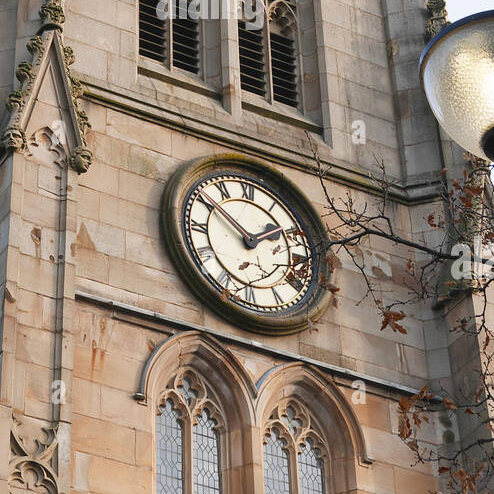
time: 1:50
